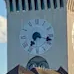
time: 7:17
